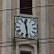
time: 11:29
